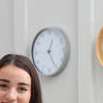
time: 12:24
